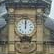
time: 12:00
